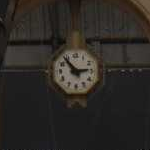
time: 2:53
